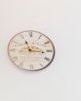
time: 11:16
